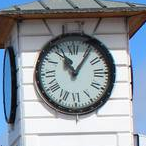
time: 11:06
